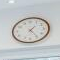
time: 1:24
